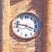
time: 3:47
